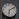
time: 6:10
